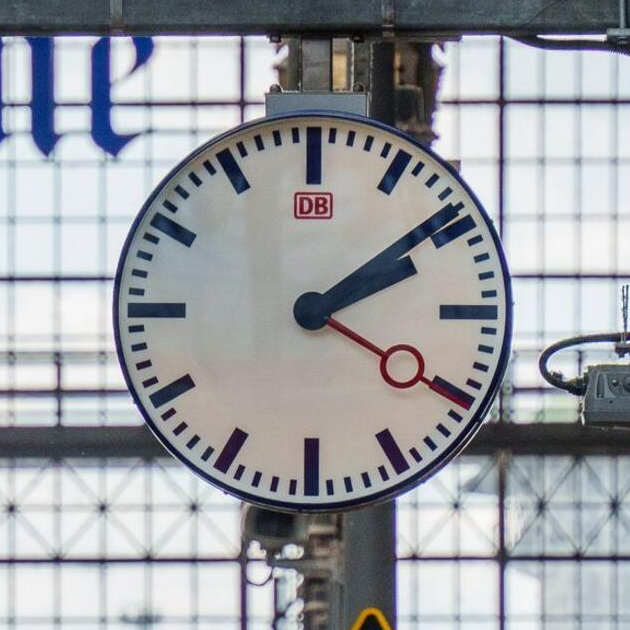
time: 2:09
